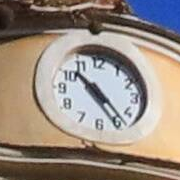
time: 10:23
